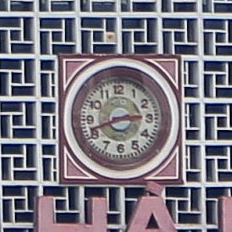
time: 2:41
